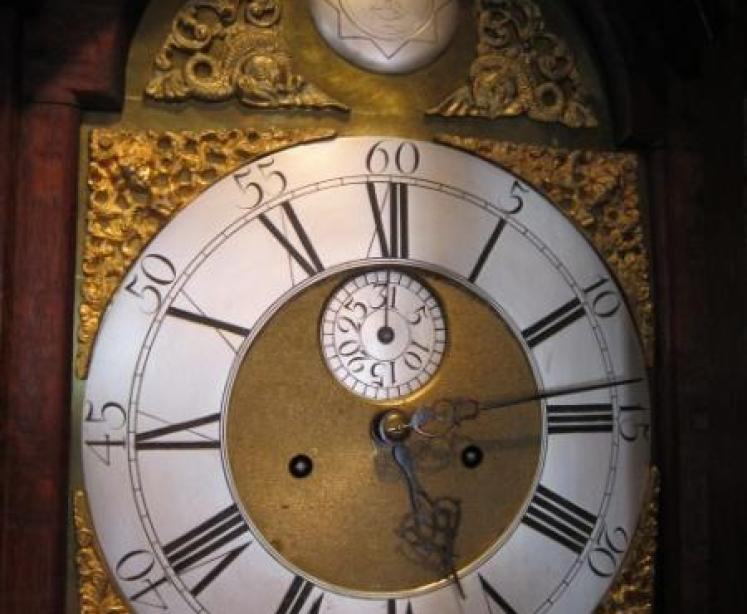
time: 5:13
